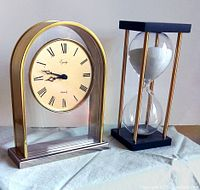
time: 8:47
